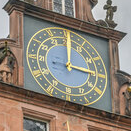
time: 3:00
